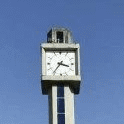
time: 3:35
